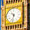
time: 10:32
